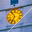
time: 6:54
